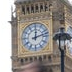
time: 12:12
